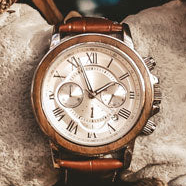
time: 1:56
